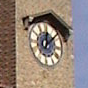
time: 12:07
